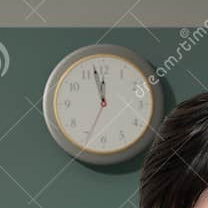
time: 11:57
